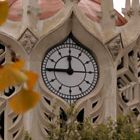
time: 11:45
